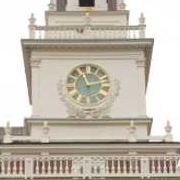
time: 11:12
